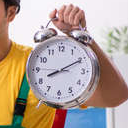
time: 8:10
